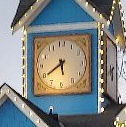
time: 5:39
